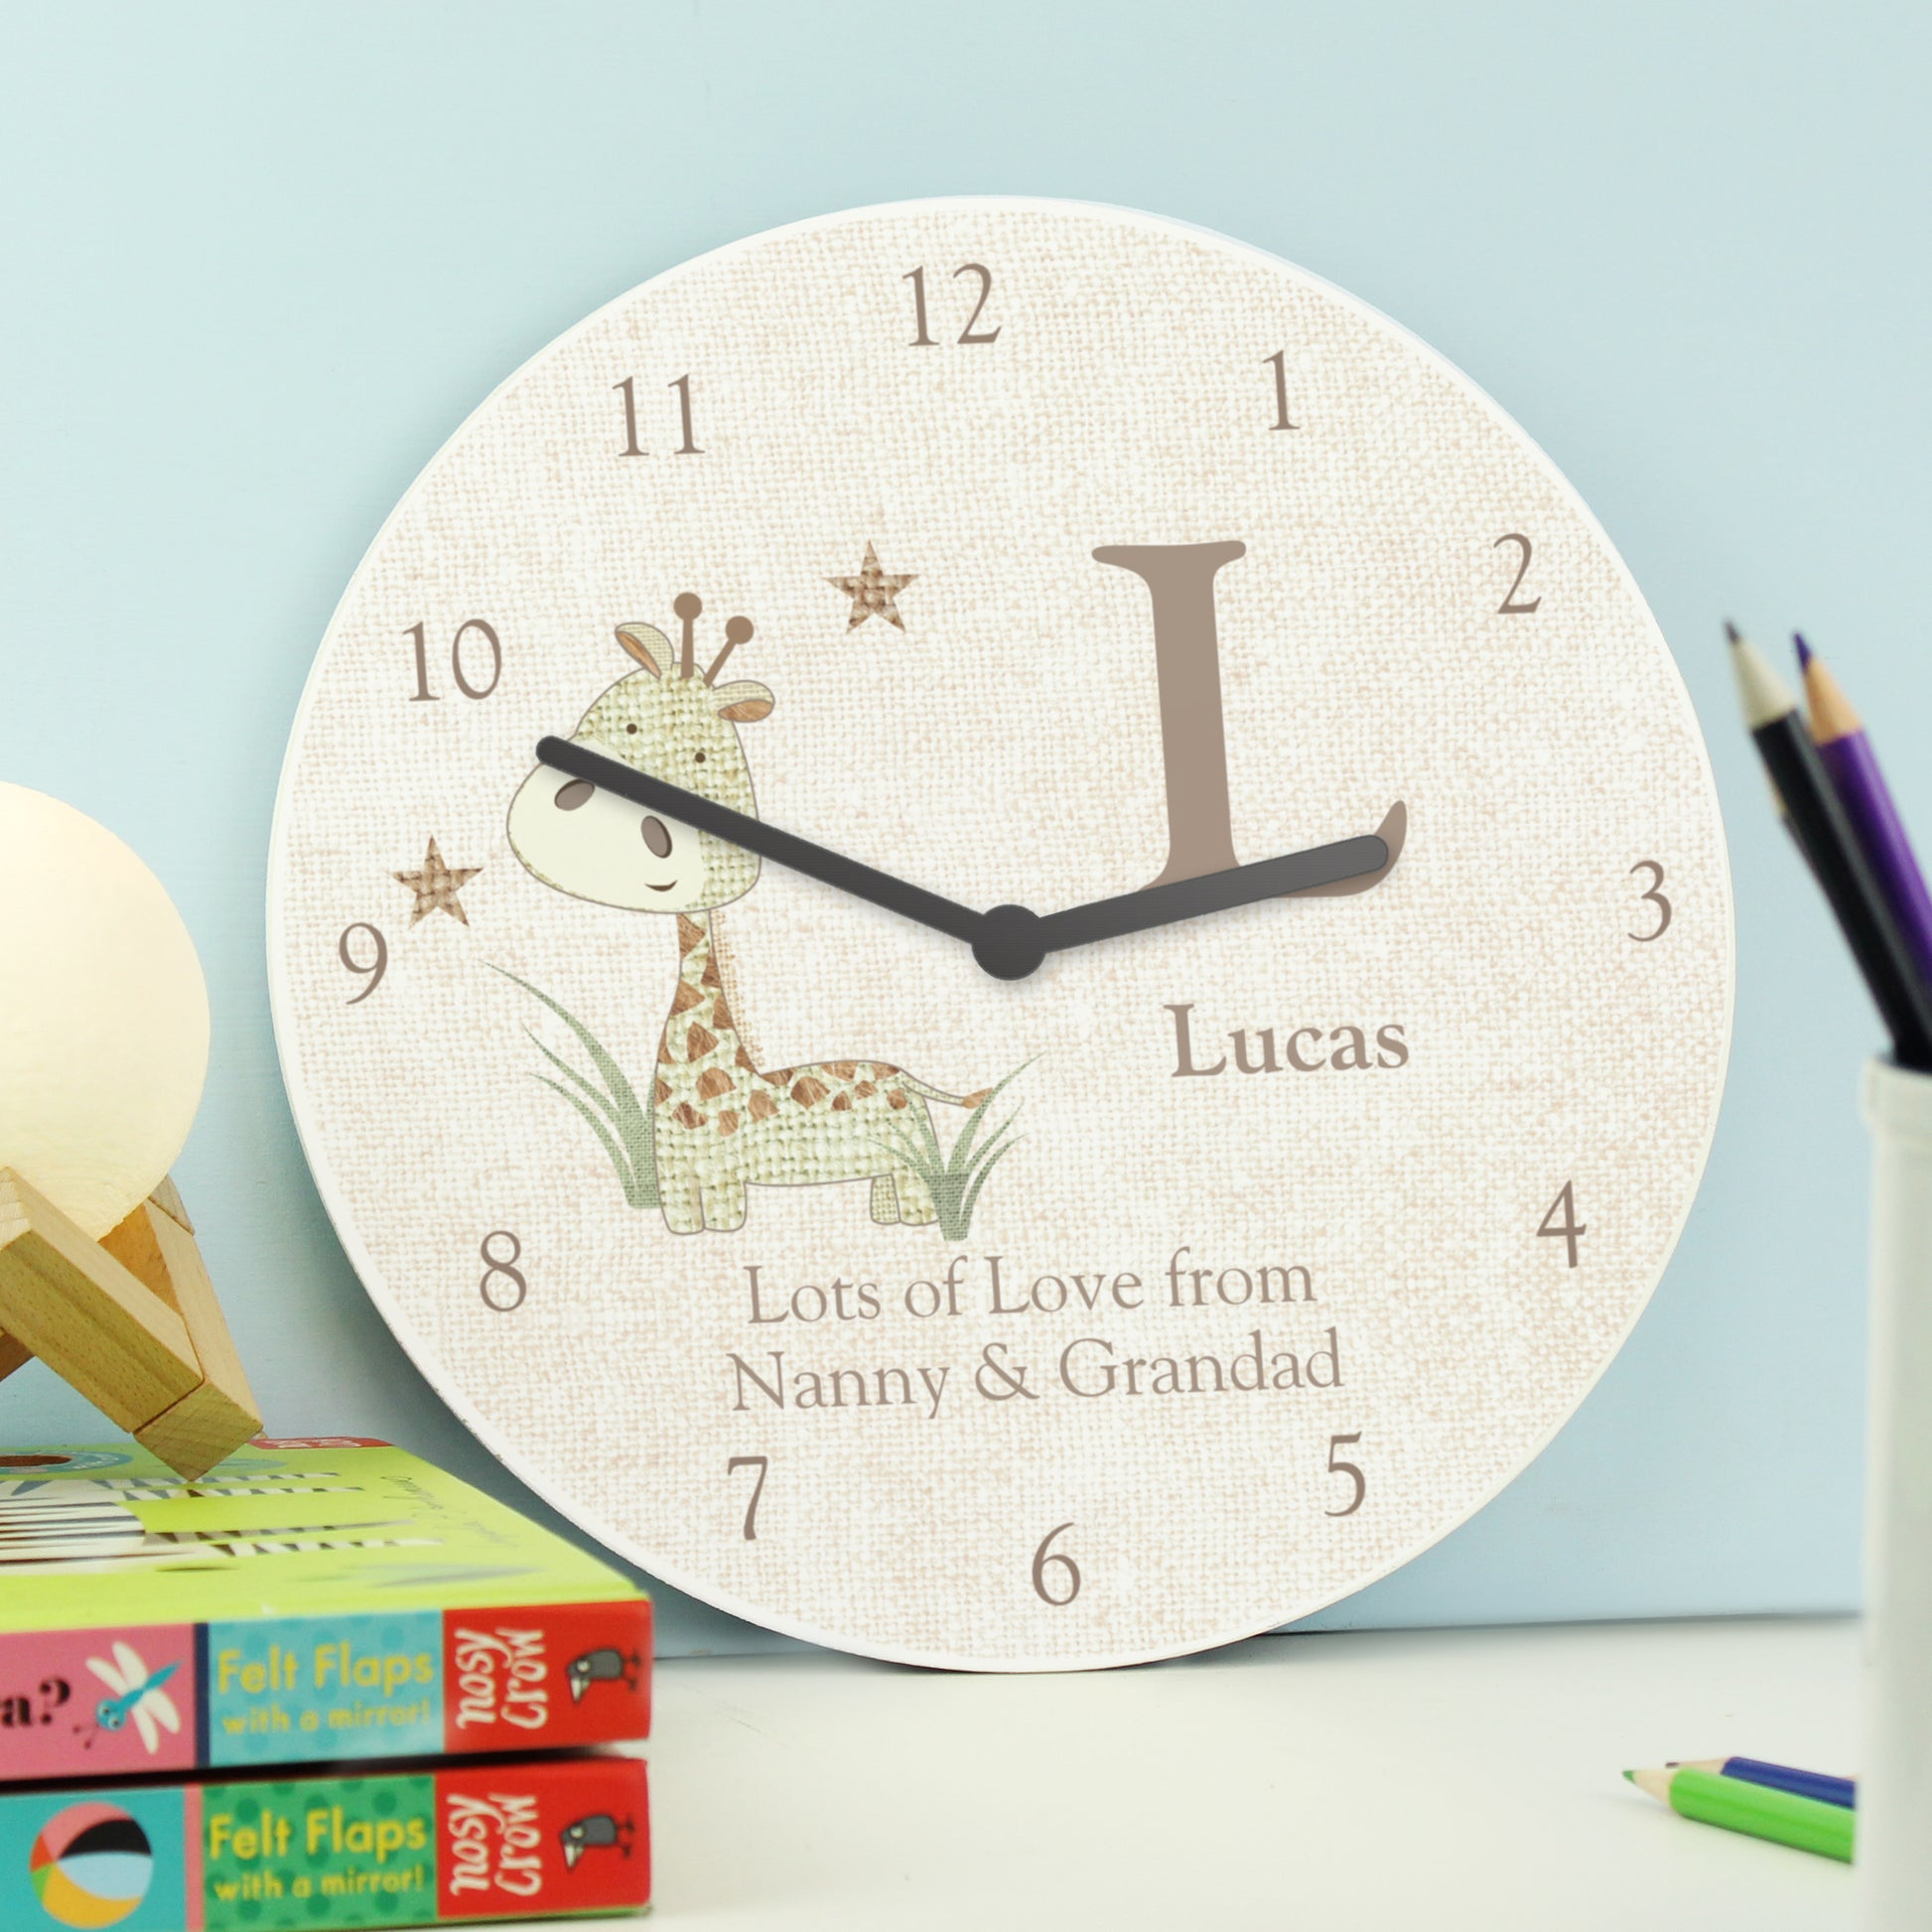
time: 2:48
